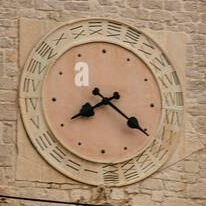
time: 8:20
